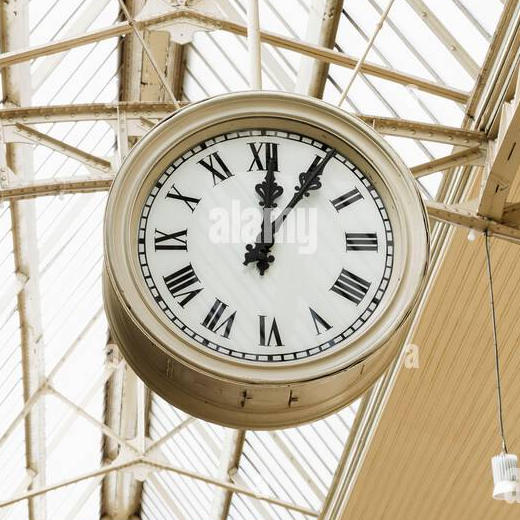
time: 12:05
